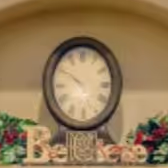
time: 9:50
